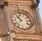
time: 10:36
